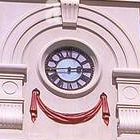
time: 2:44
